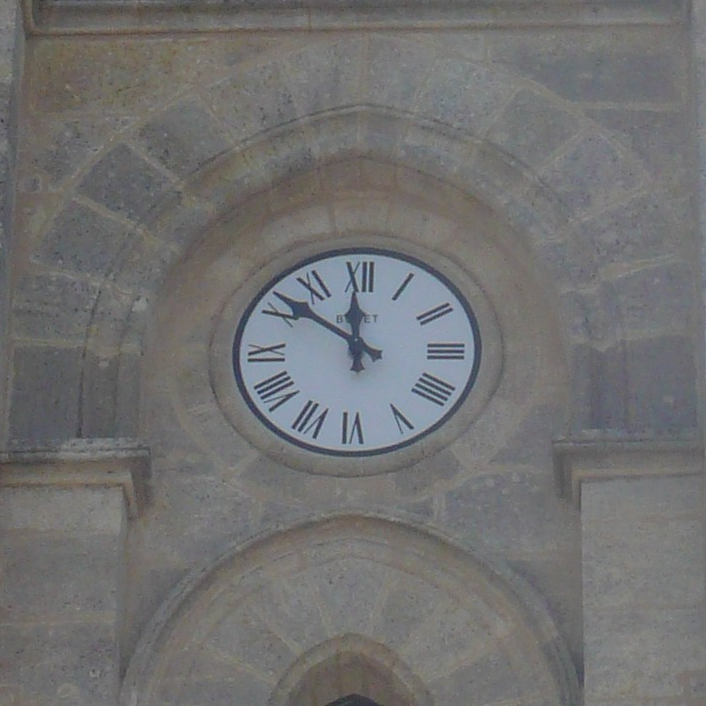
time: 11:51
